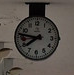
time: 7:46
